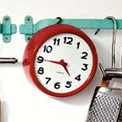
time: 4:44
